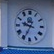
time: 9:34
